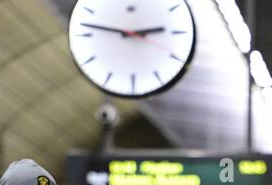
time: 2:46
